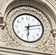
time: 6:12
